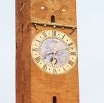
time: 6:11
